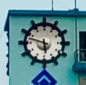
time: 5:47
